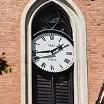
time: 1:43
